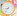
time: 8:36
